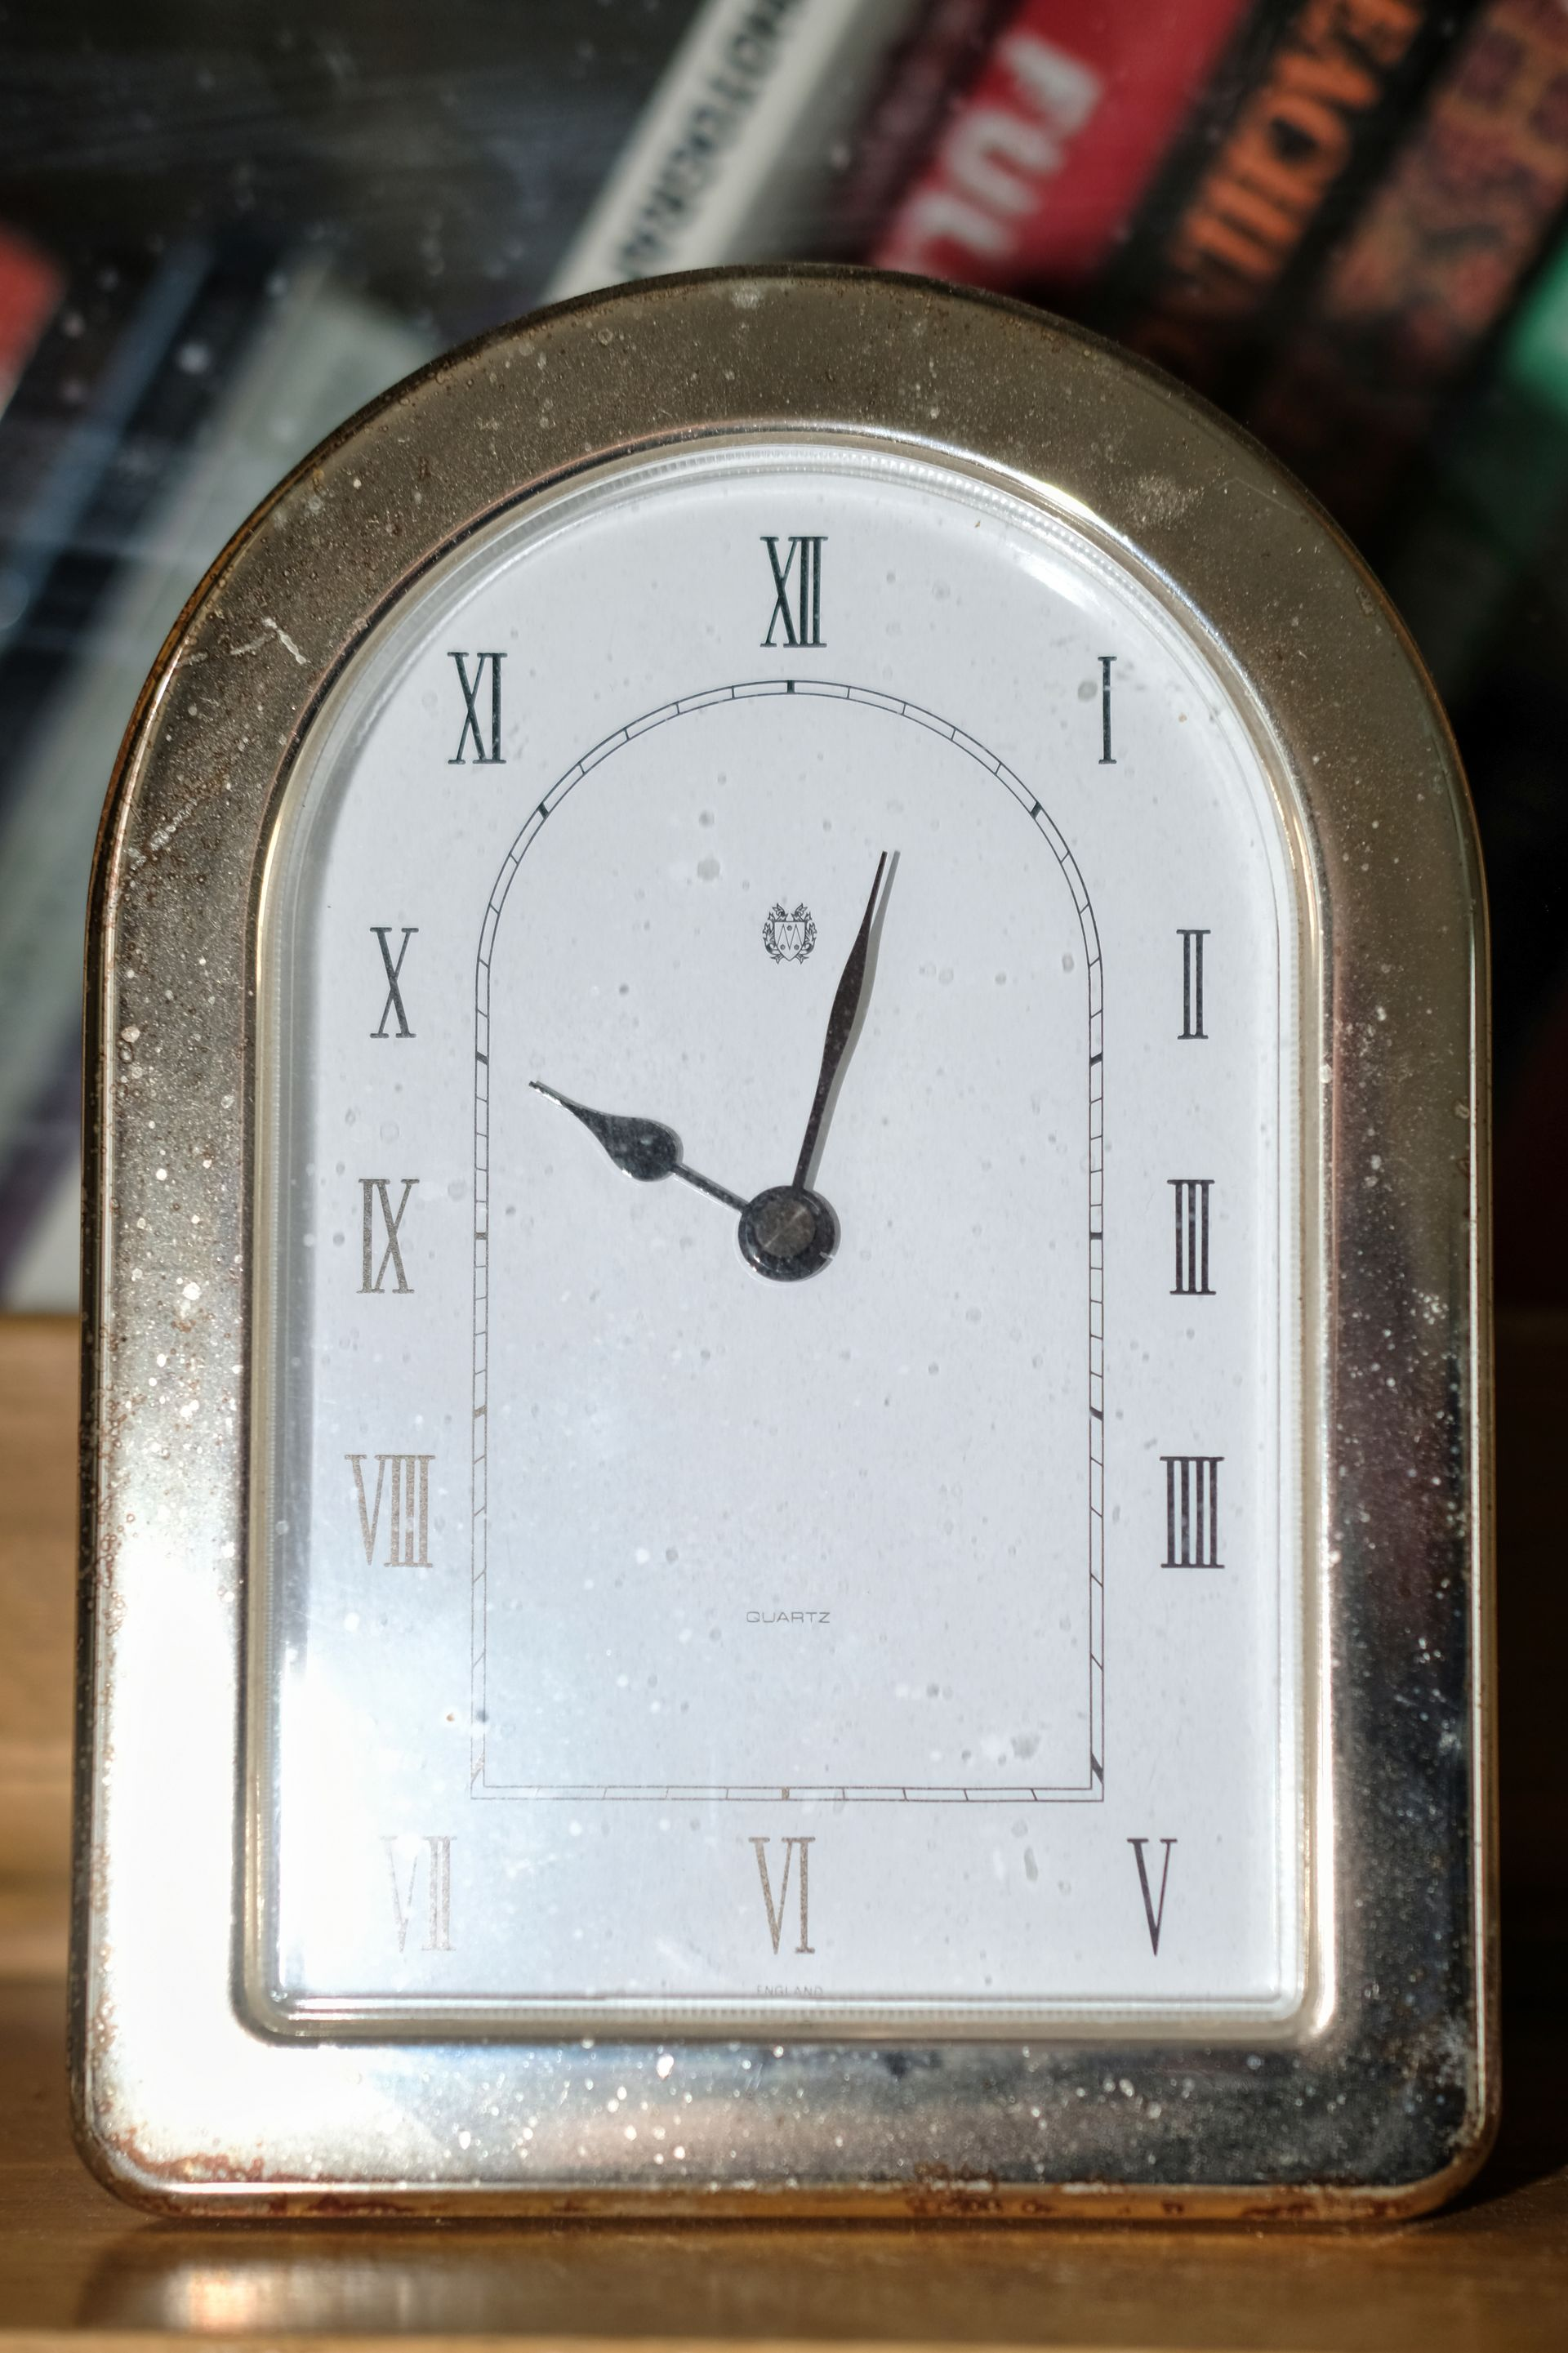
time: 10:02
